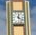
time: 12:21
